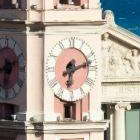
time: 6:12
